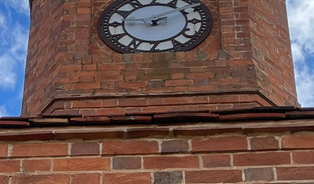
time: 9:10
